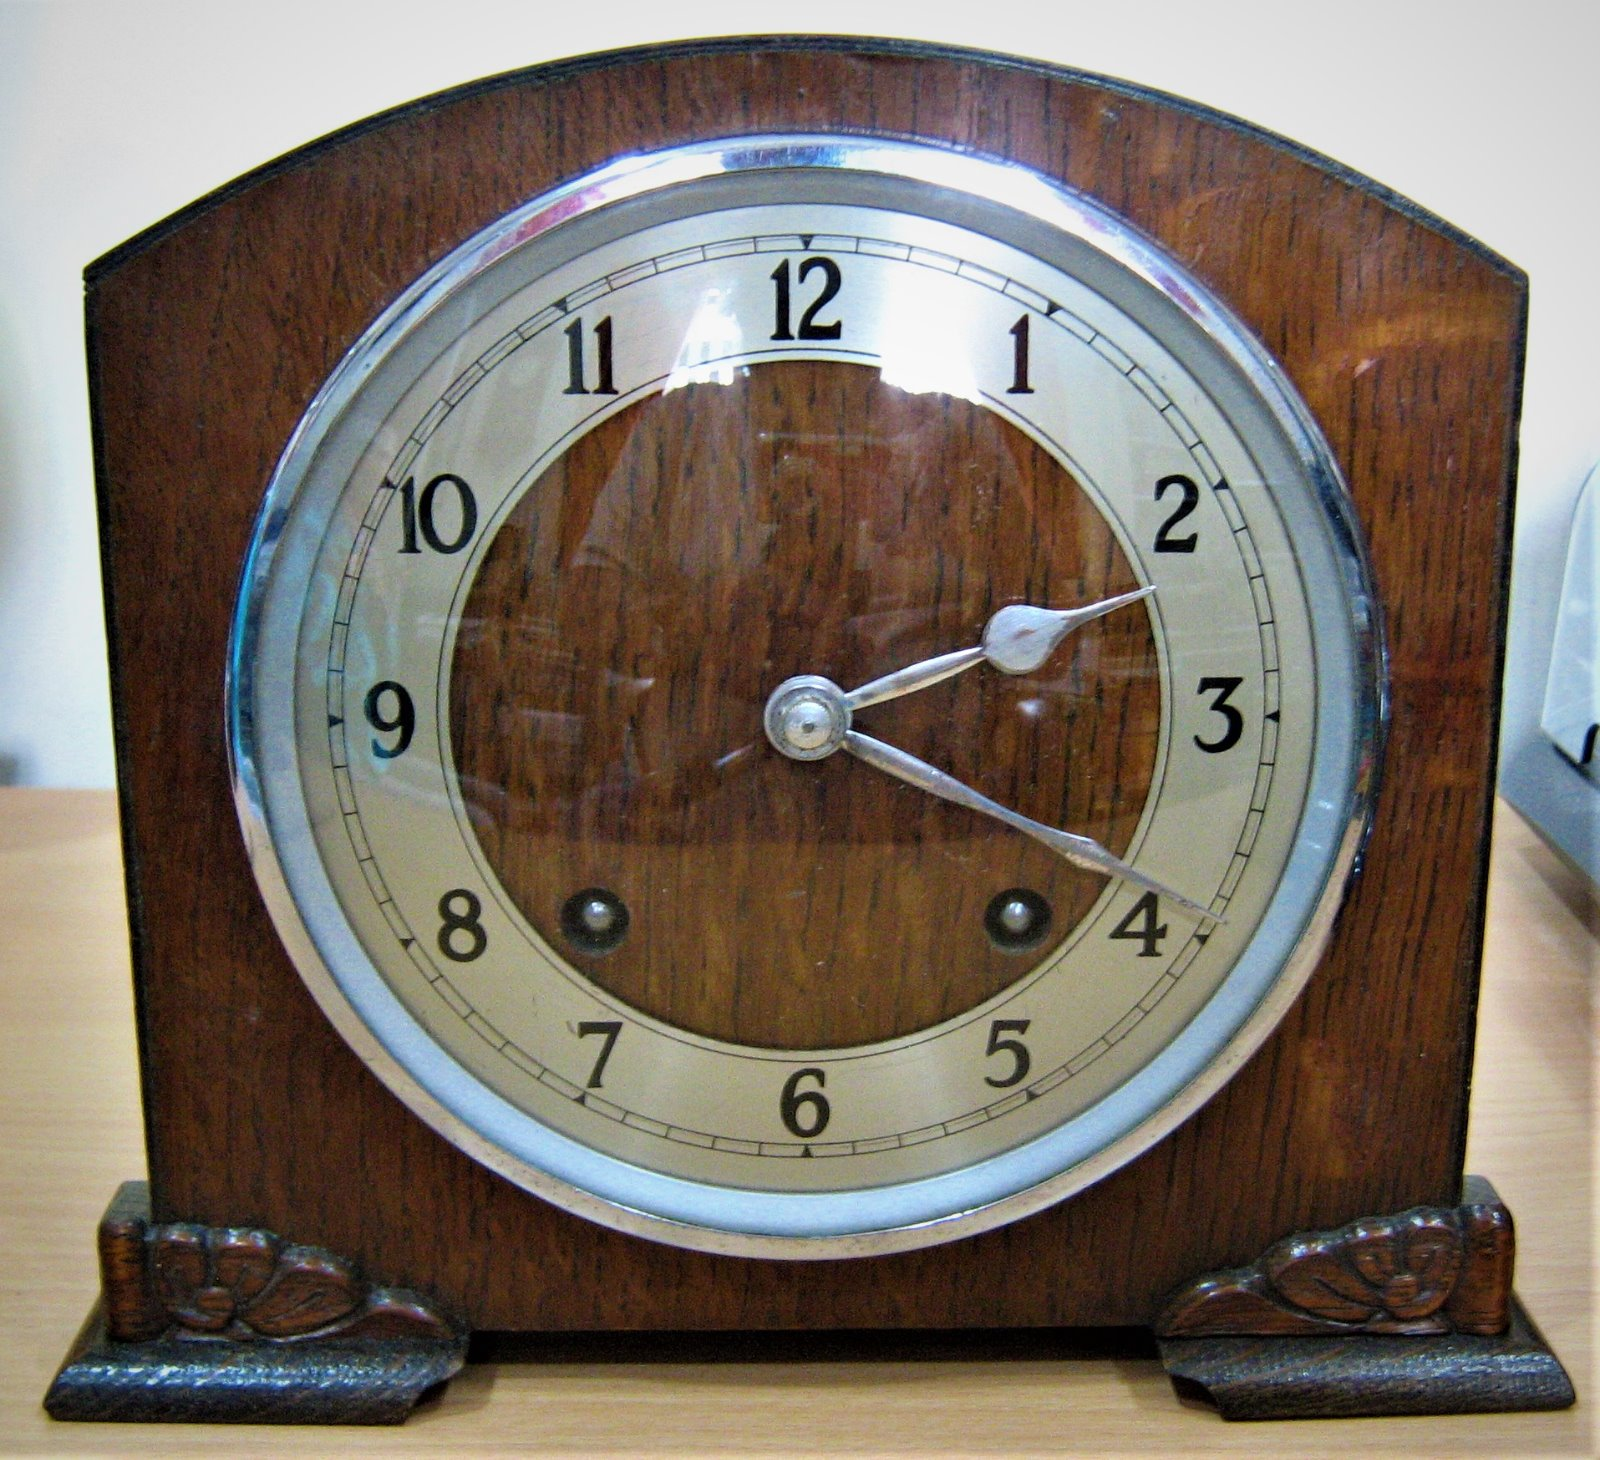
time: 2:19
